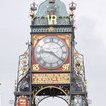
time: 9:21
